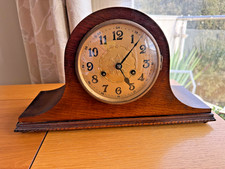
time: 5:07
